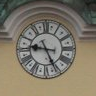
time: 9:25
